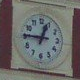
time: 12:45
